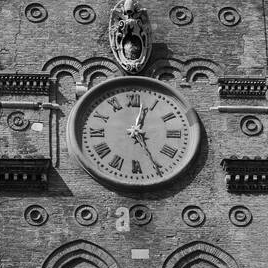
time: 12:25
